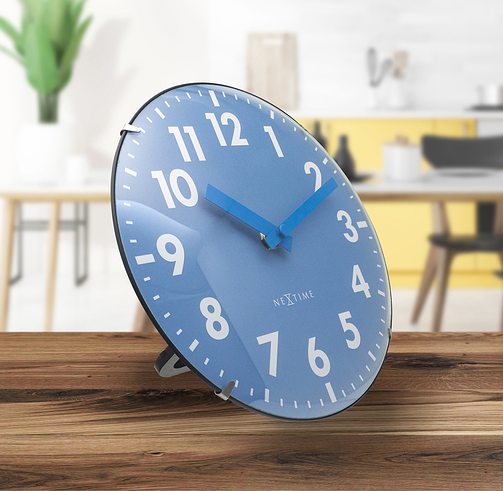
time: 10:11
